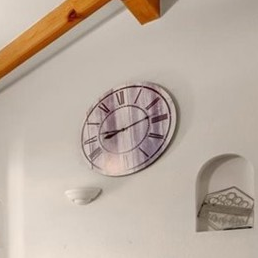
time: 8:12
